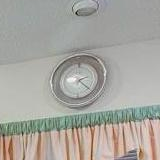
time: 2:21
